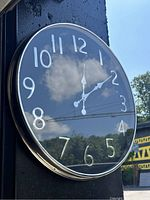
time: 12:09
